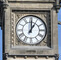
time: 1:00
